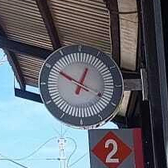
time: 12:49
